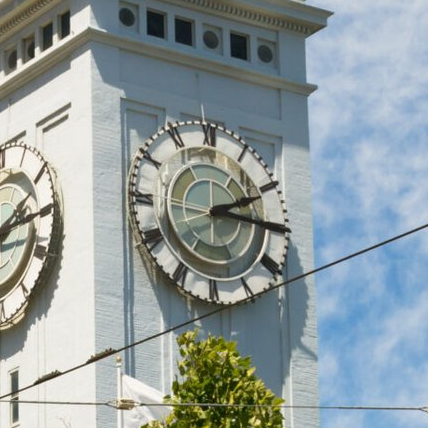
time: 2:15
